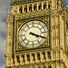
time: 4:18
